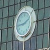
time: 1:43
